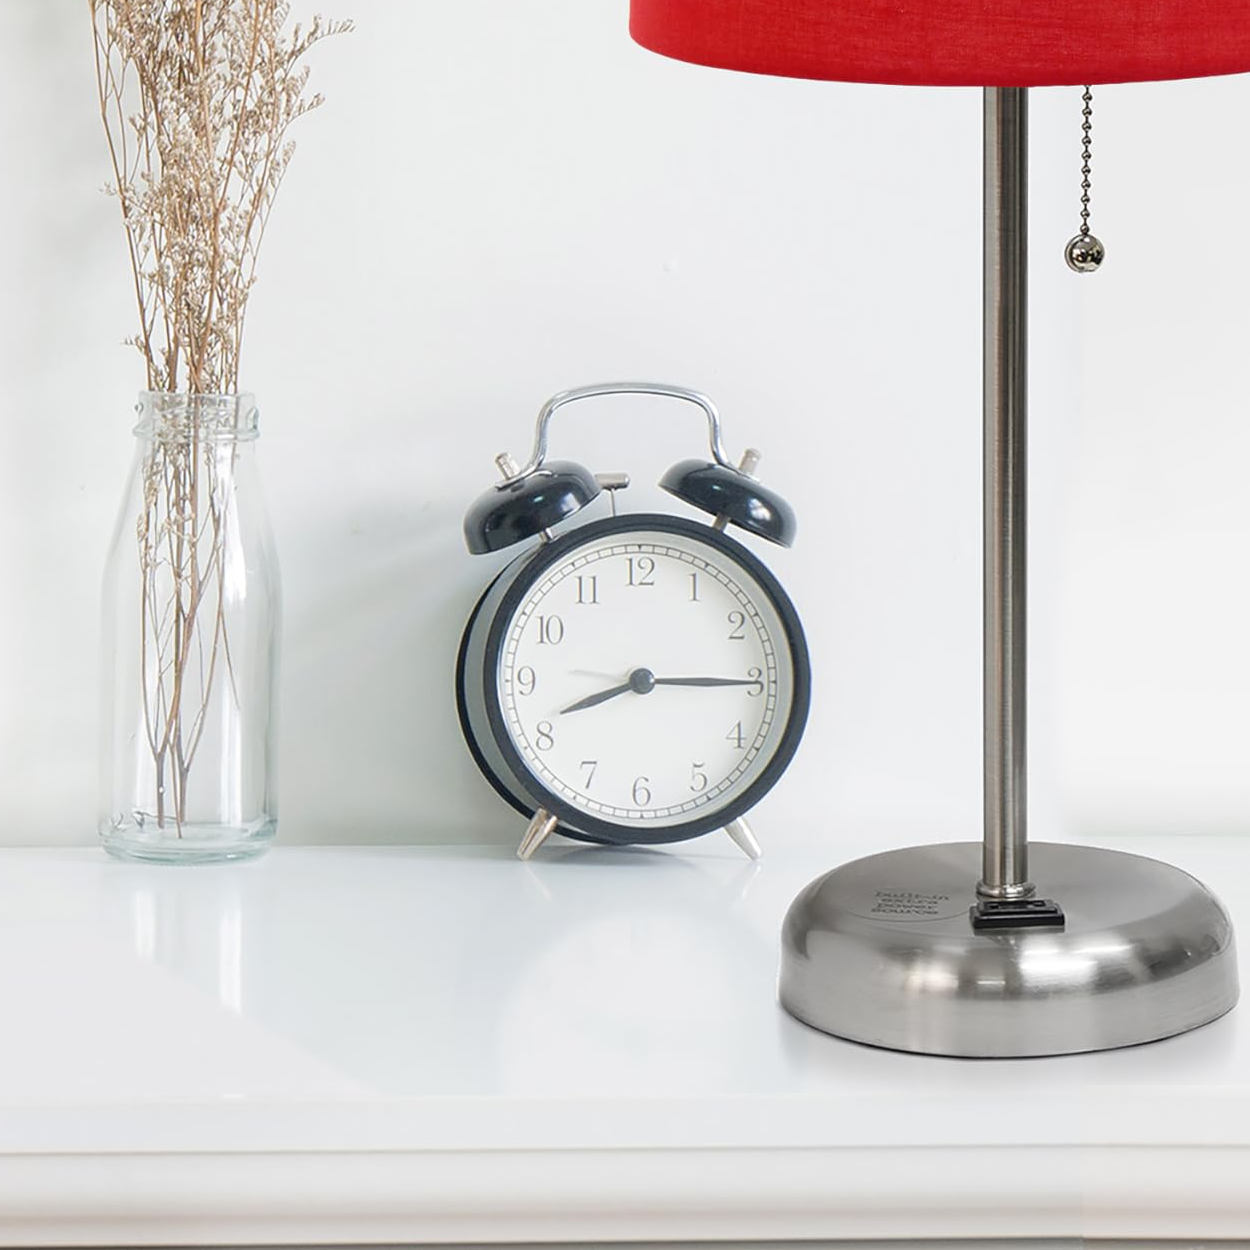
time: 8:15
